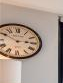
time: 2:50
